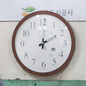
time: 2:00
